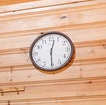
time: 12:30
